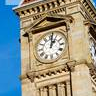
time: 1:01
